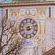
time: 8:12
